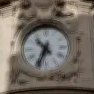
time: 10:34
